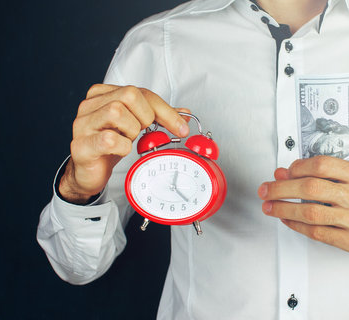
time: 12:22
